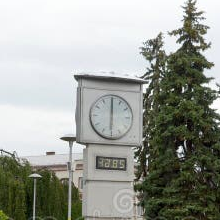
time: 6:00
